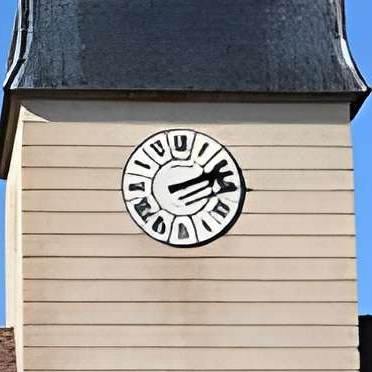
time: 2:11
